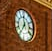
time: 11:35
